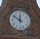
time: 11:51
